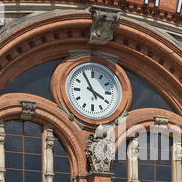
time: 3:55
